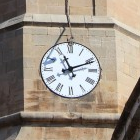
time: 11:11
